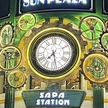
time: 7:28
